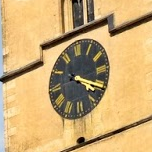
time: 4:19
